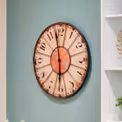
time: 5:58
